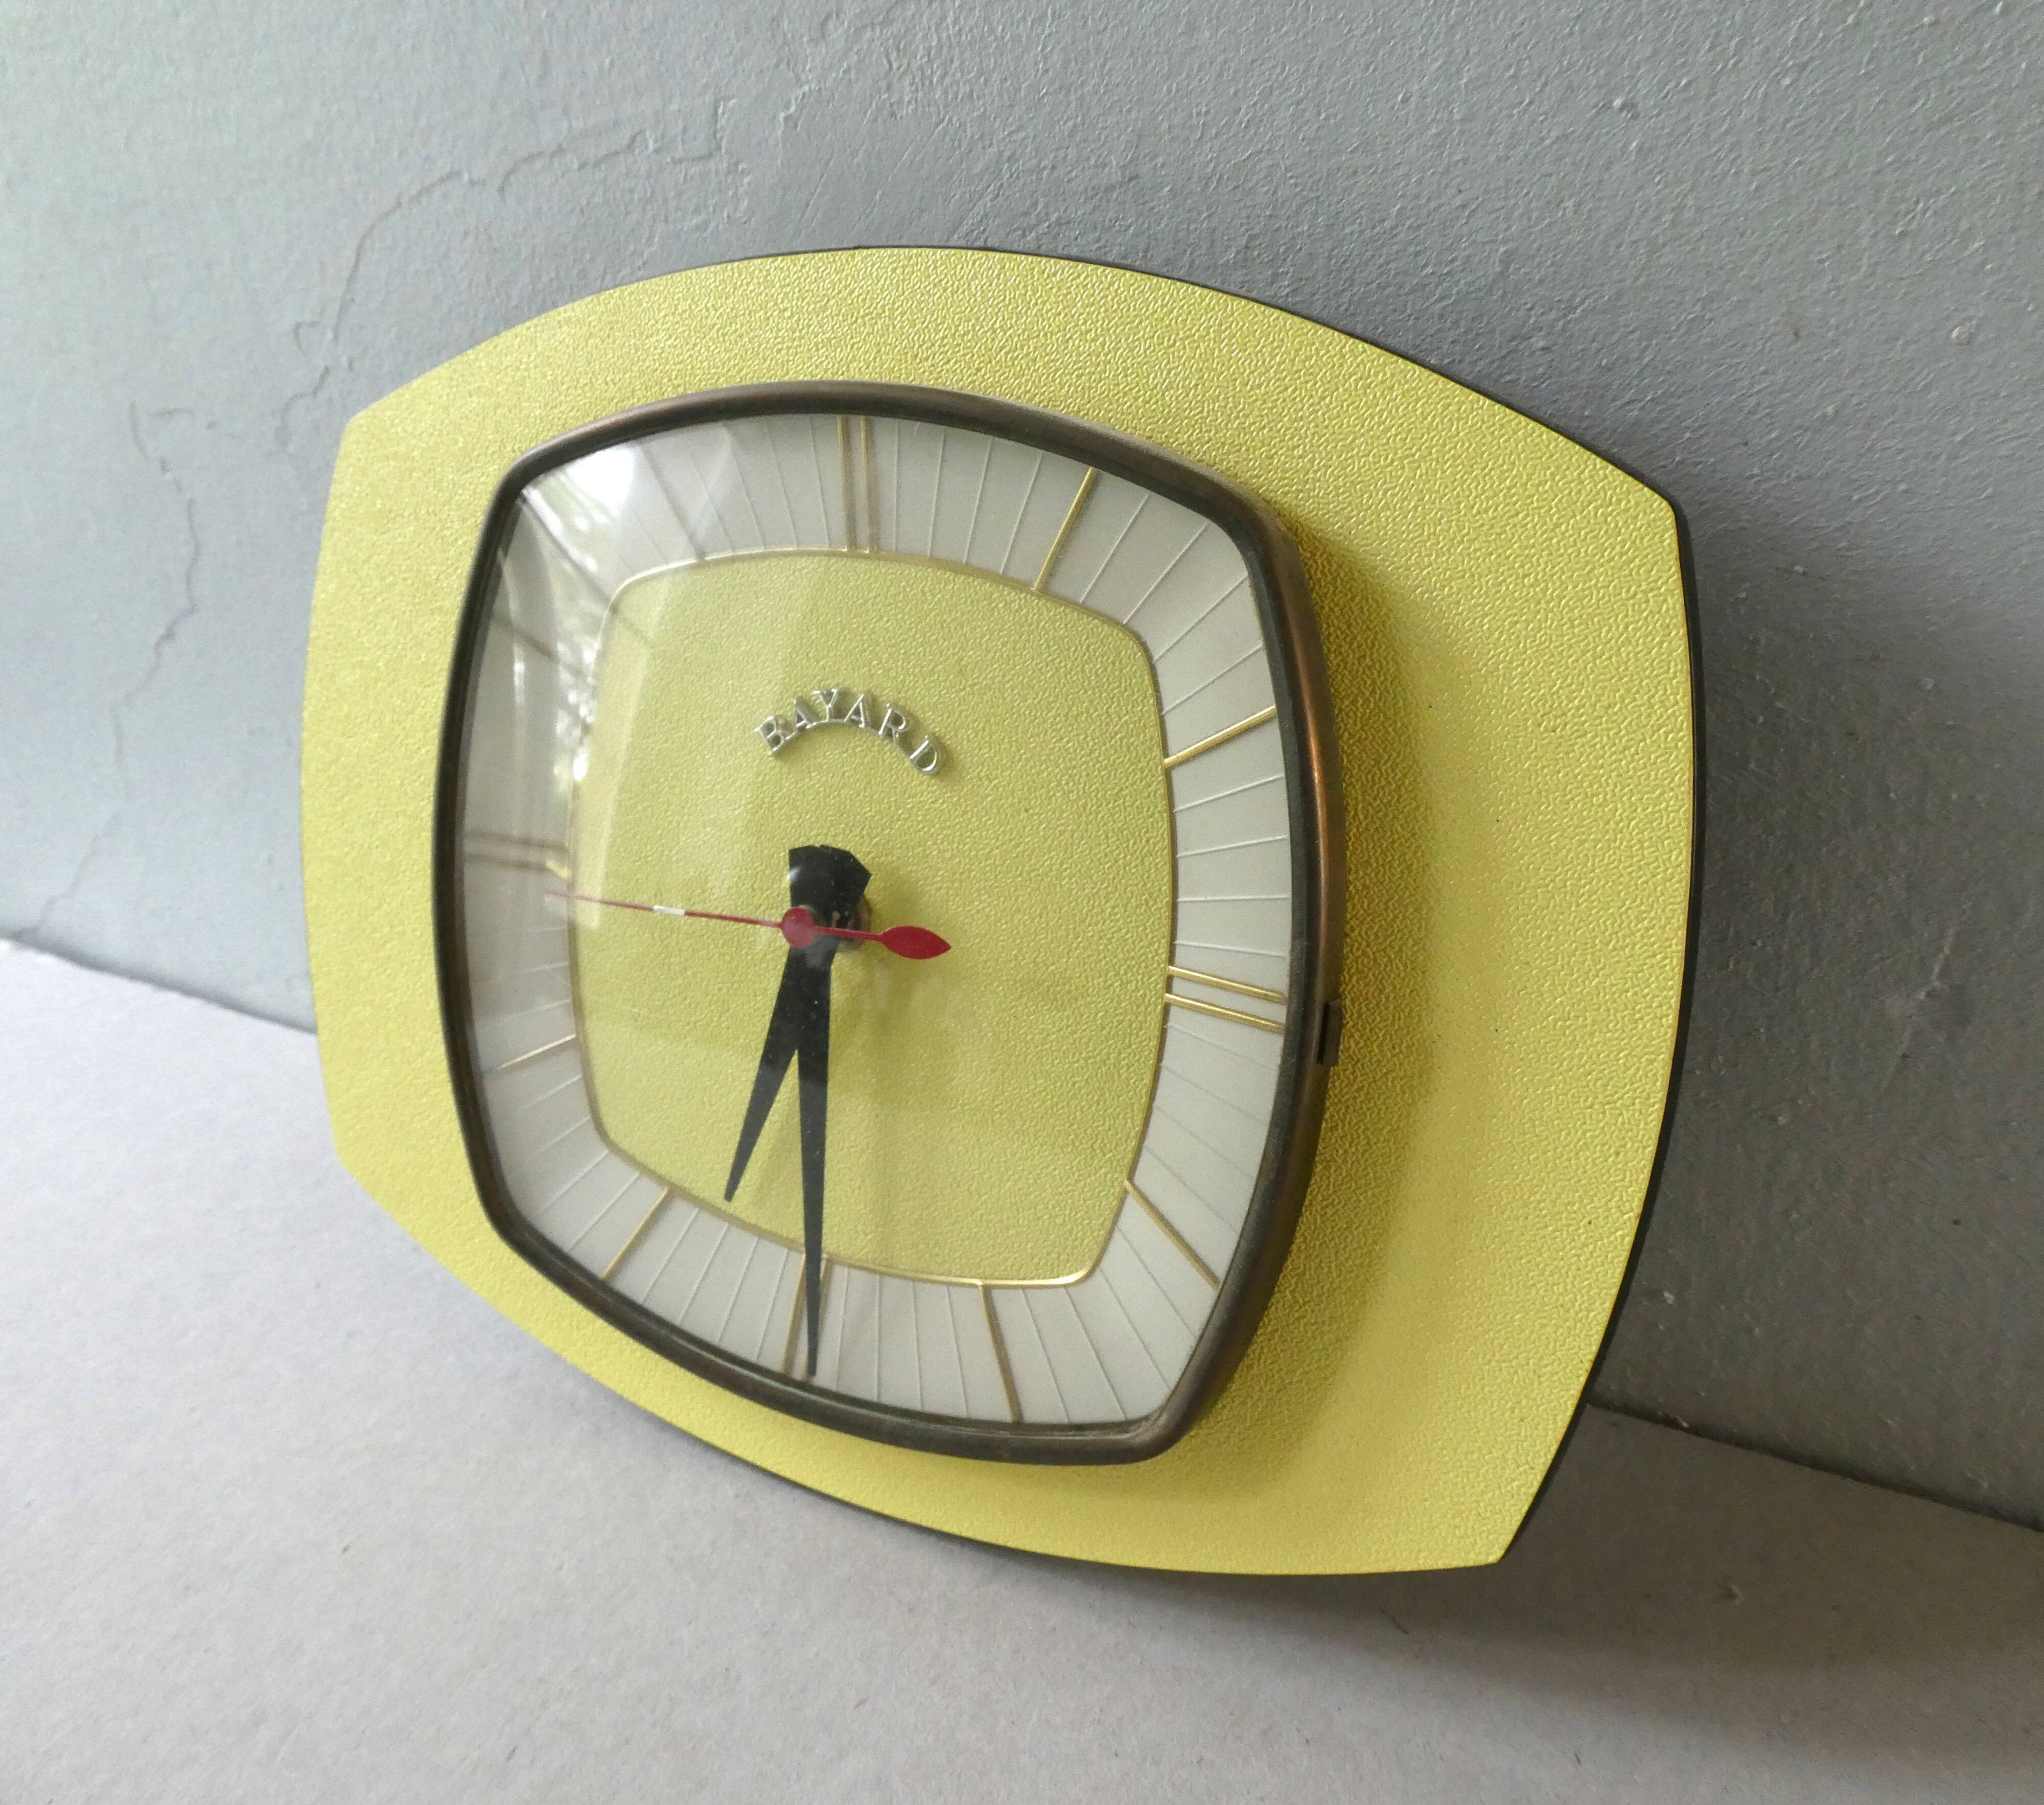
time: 6:29
